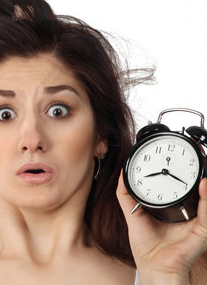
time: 8:19
